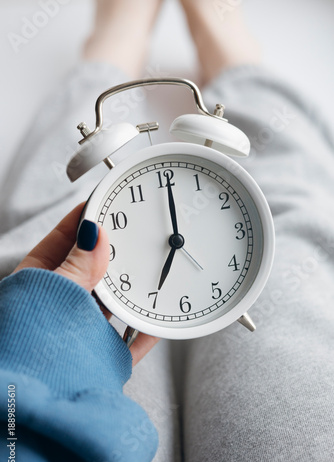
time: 7:00
